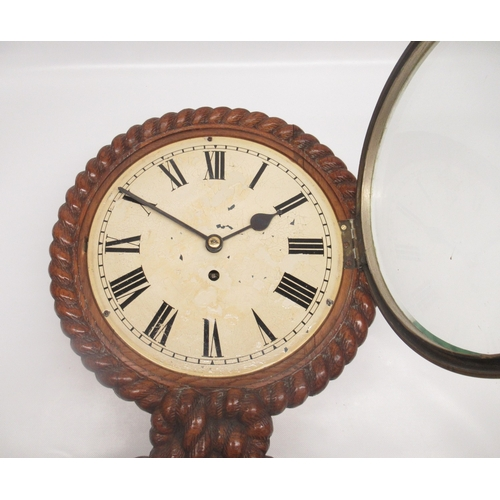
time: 1:50
